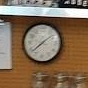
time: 1:38
